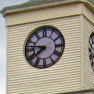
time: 7:46
